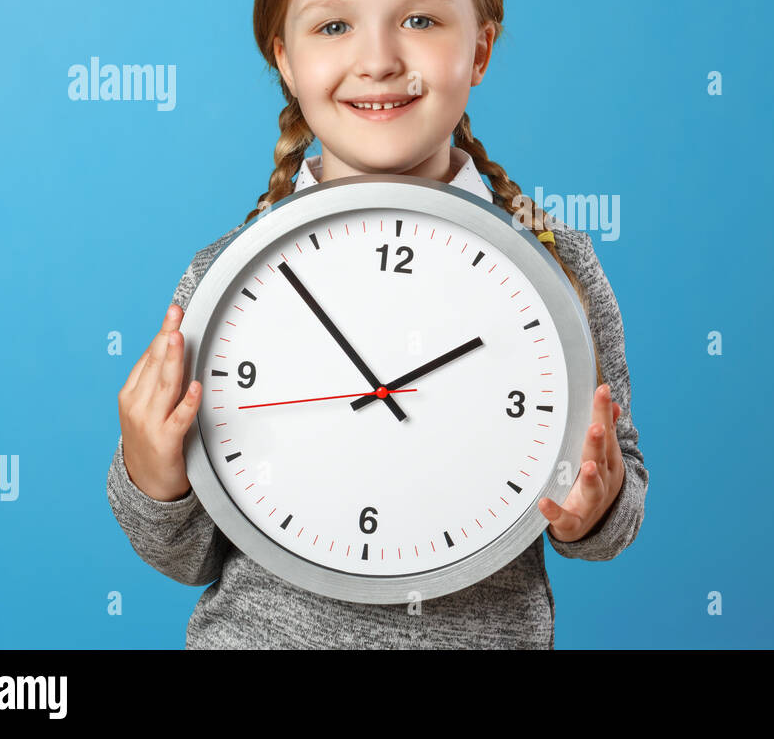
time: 1:52
